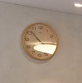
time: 2:52
